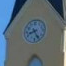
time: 8:25
